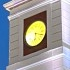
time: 6:18
